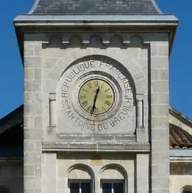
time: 12:32
